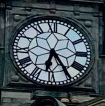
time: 6:24
